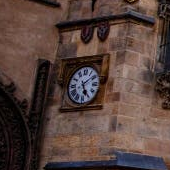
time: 5:08
